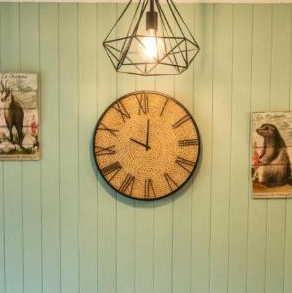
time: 10:01
